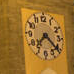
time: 7:21
